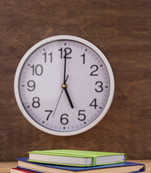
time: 5:00
